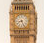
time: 8:25
